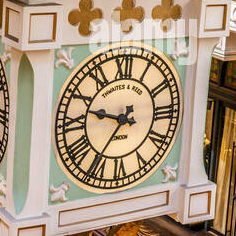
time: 9:35
